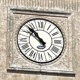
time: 10:52
